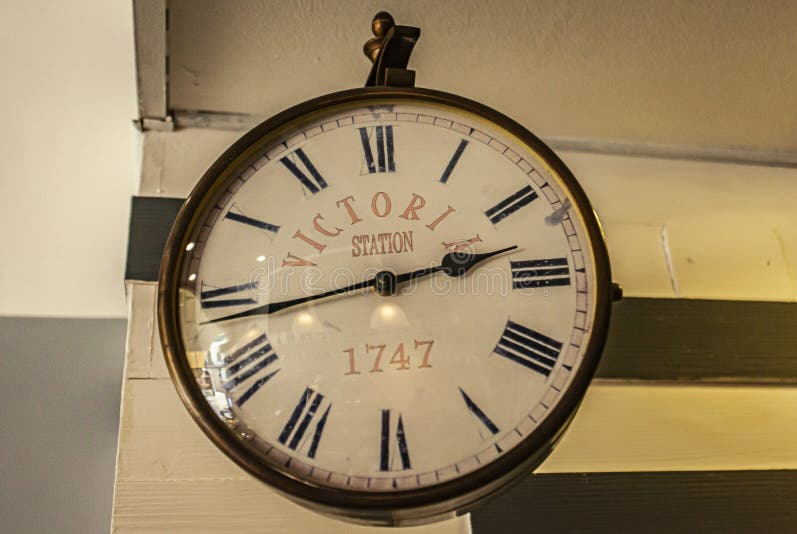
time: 2:43
